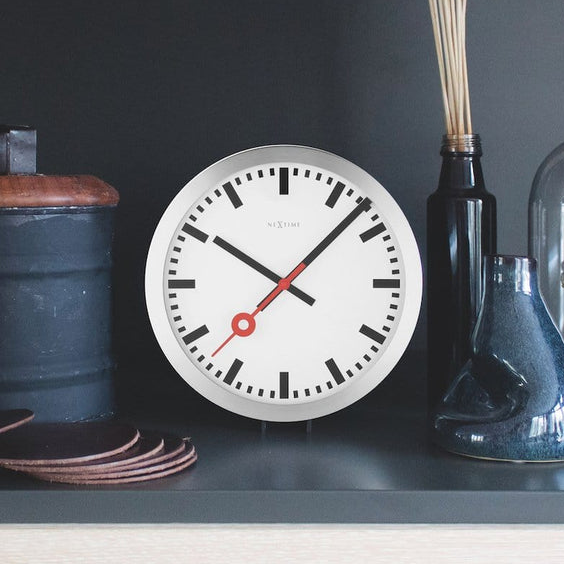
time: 10:07
